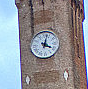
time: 4:02
